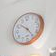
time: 10:24
